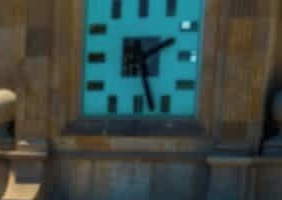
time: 2:27
